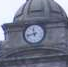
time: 11:42
